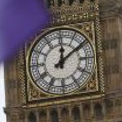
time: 12:09
